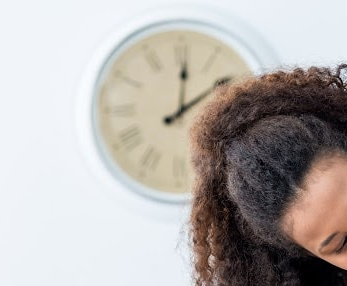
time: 12:08
